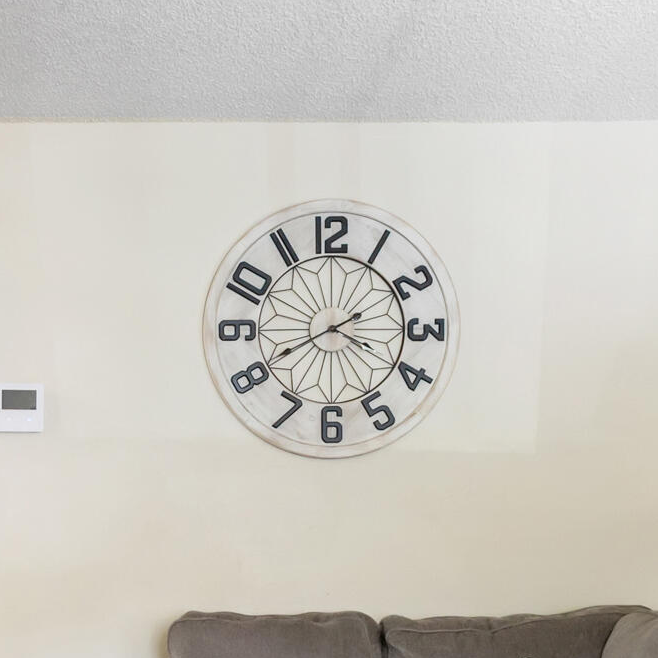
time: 3:40
